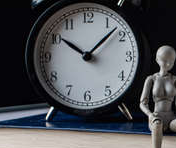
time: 10:07
